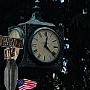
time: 12:21
